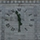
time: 11:30
